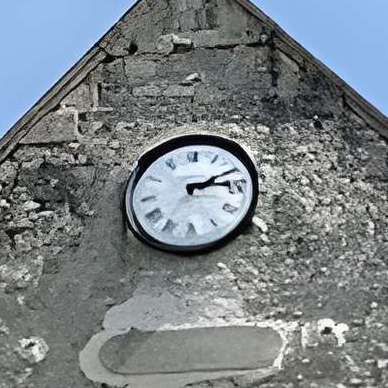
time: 2:14
